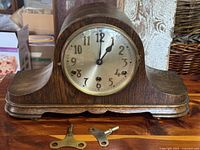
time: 1:01
